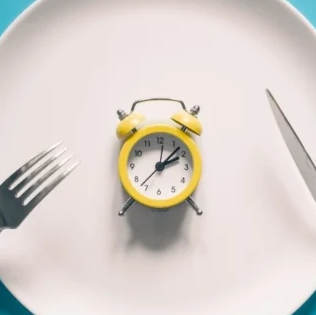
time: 2:07
